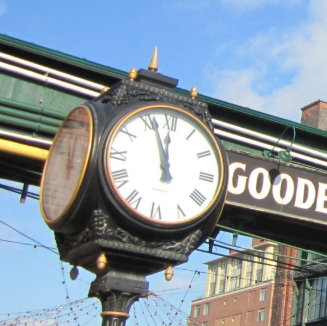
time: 11:56
